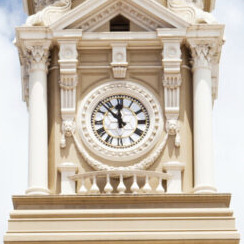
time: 11:52
